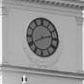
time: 2:40
